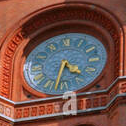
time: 4:32
